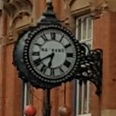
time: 6:40
